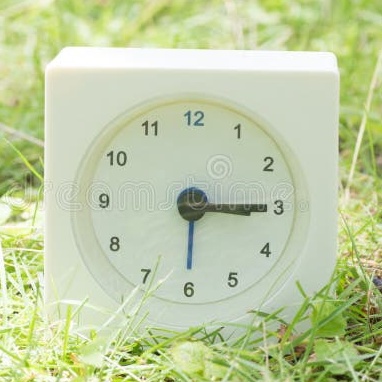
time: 3:15
